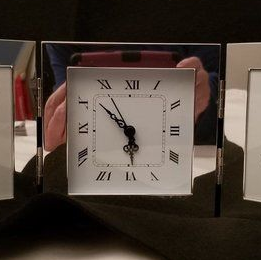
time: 5:51
